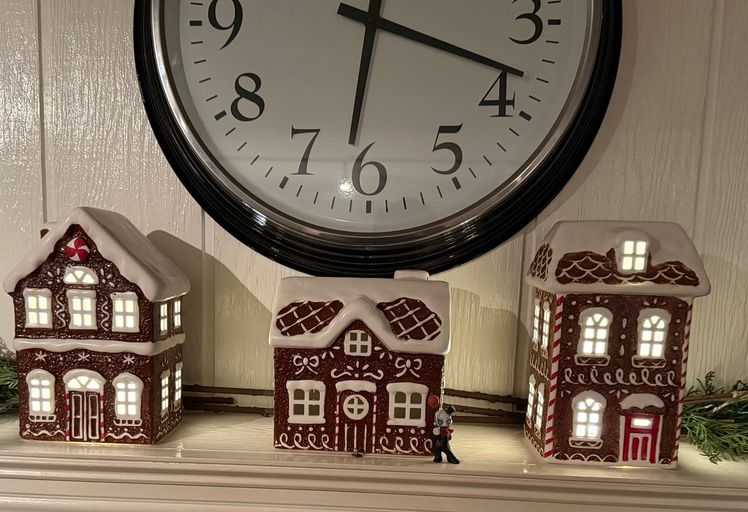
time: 6:18
